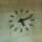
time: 5:11
